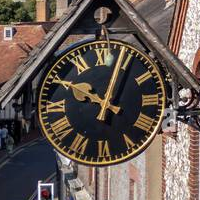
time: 10:03
